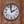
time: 1:59
